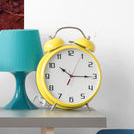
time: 10:15
